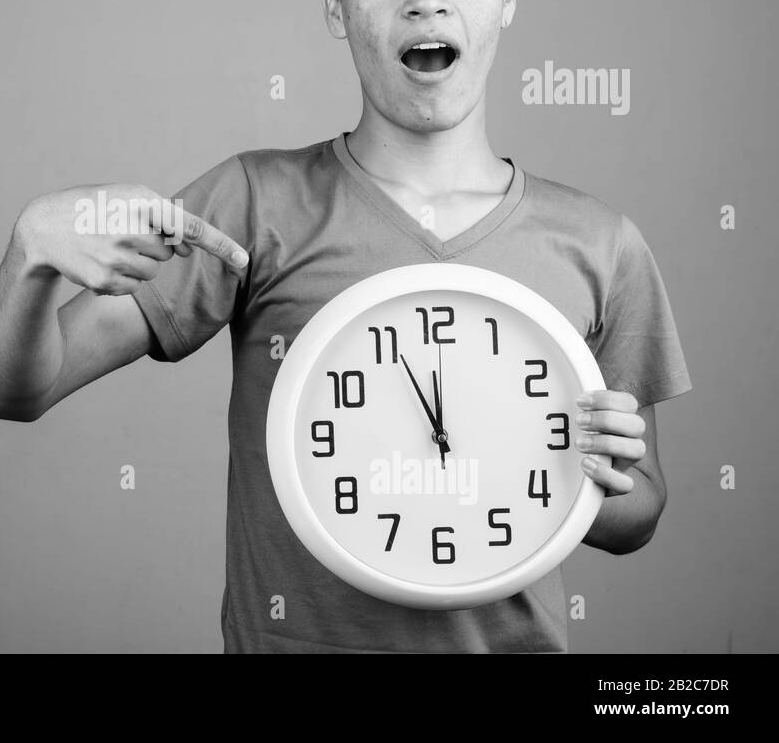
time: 11:55
